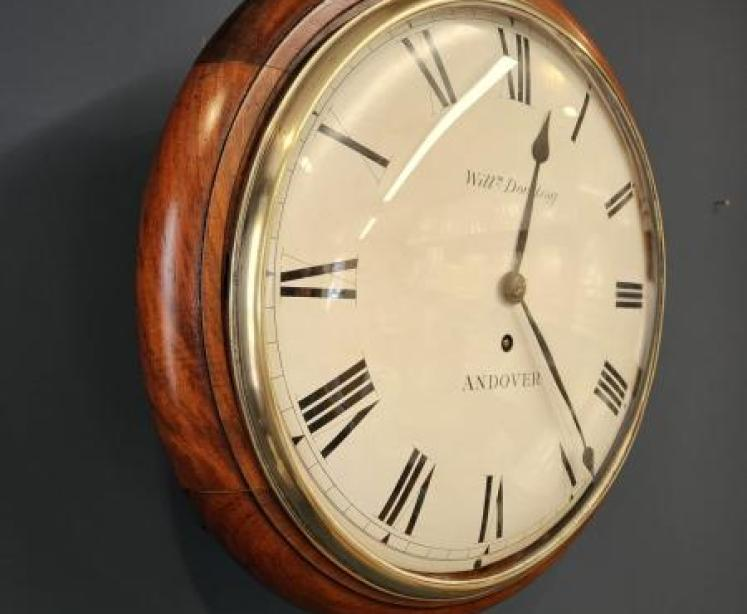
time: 12:23
